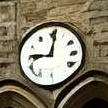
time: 9:01
